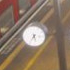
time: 5:35
